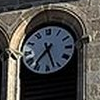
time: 7:27
